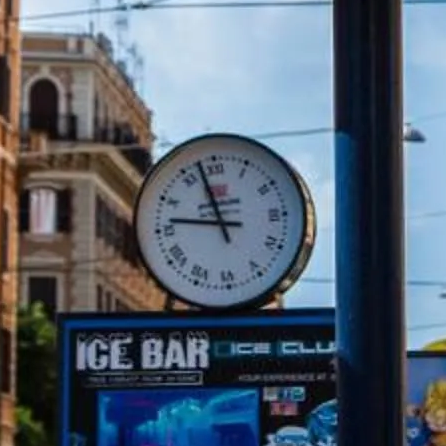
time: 11:46
